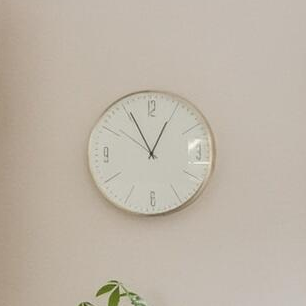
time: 12:55
